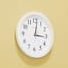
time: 3:01
